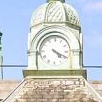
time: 4:19
